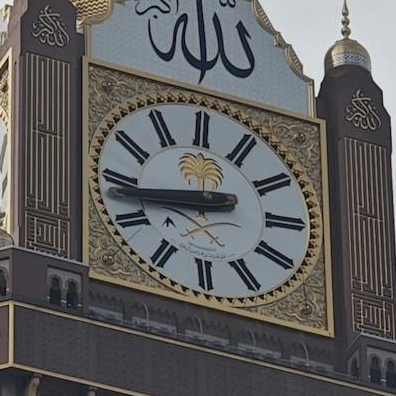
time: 8:43
